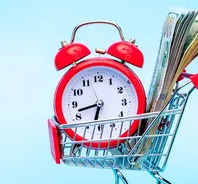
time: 6:42
